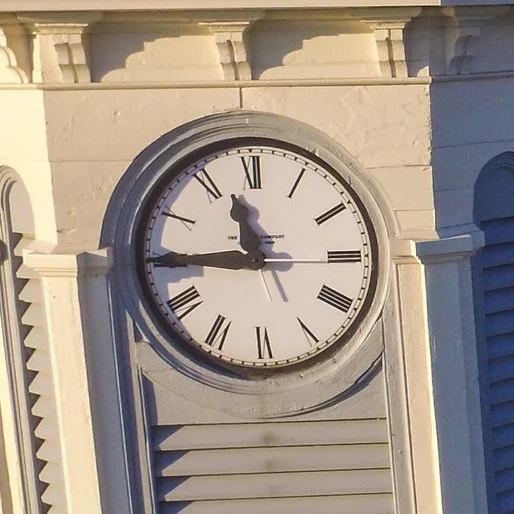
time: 11:44
